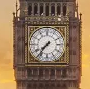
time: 7:36
